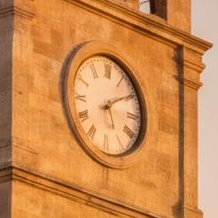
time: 5:09
